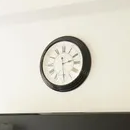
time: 2:29
